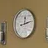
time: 12:12
